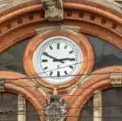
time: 2:49
